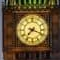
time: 7:18
